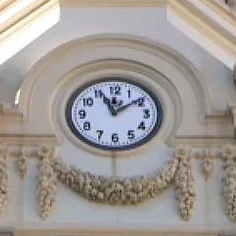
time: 11:09
